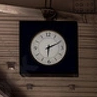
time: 6:10
